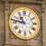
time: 10:47
